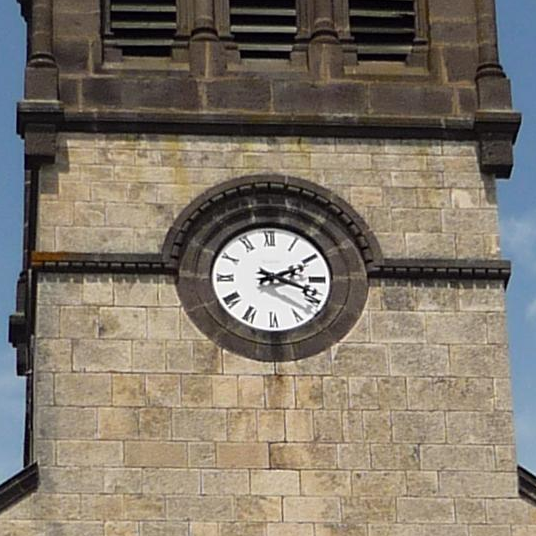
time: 2:18
